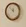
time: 11:52
